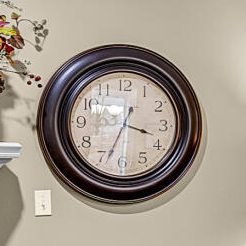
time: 3:33
